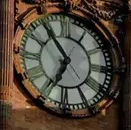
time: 6:53
